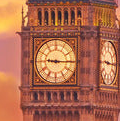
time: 9:15
